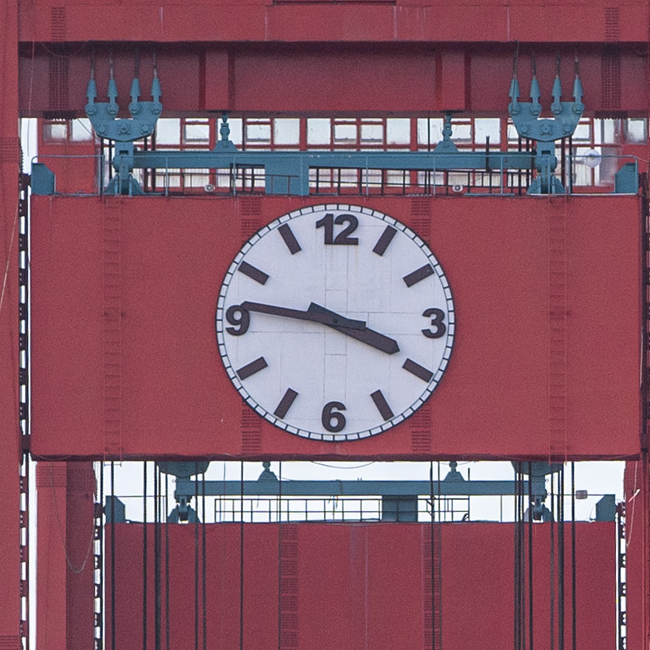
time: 3:46
